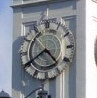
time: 4:40
